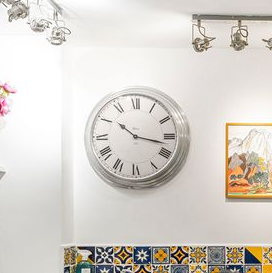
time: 10:17
